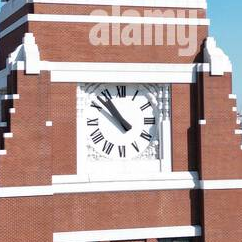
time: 10:52
